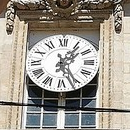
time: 1:26
